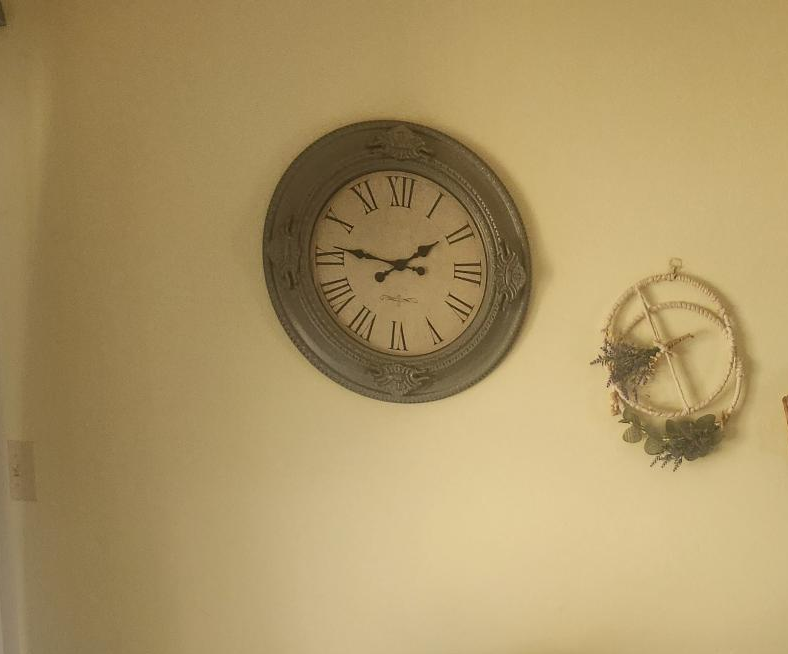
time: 1:46
